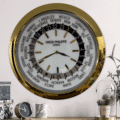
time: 3:40
